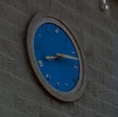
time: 8:12
